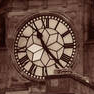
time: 11:23
